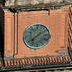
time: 7:08
